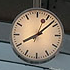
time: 8:08
